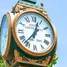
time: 12:36
